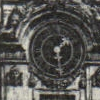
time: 1:28
